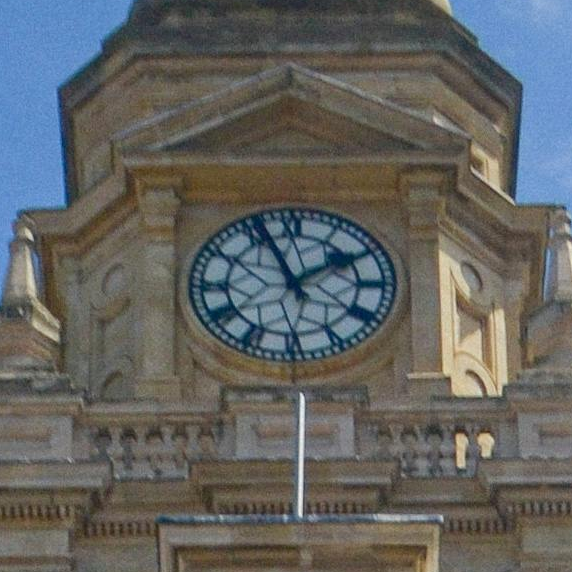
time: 1:56
